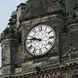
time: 9:46
